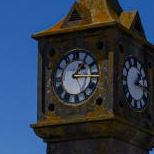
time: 1:16
